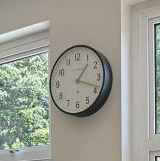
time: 1:18
